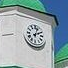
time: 2:03
